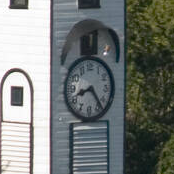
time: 8:23
